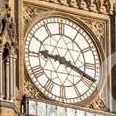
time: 9:18
